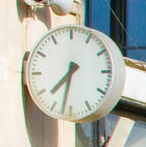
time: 7:32
